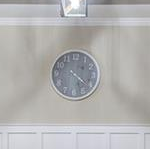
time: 4:21
